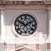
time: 1:50
